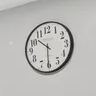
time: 10:30
